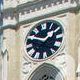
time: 1:49
